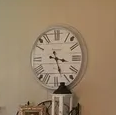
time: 3:26
